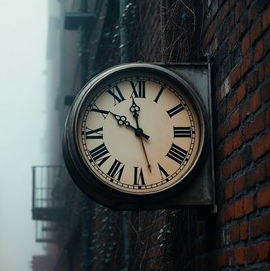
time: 11:50
